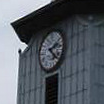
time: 2:21
